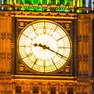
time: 9:19
